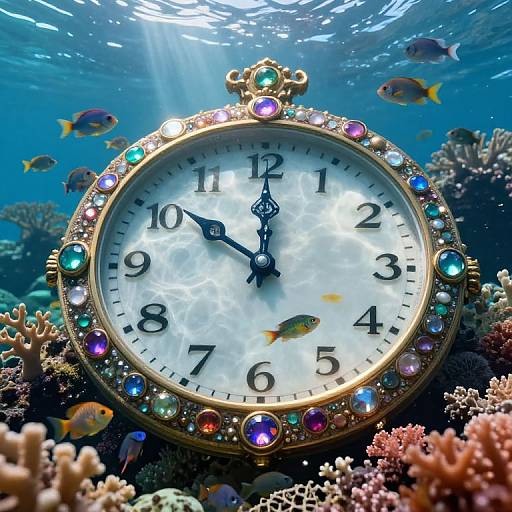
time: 10:00
